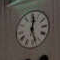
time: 12:26
